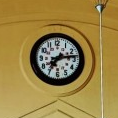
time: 7:13
